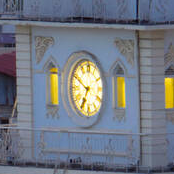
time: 6:49
